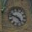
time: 4:47
